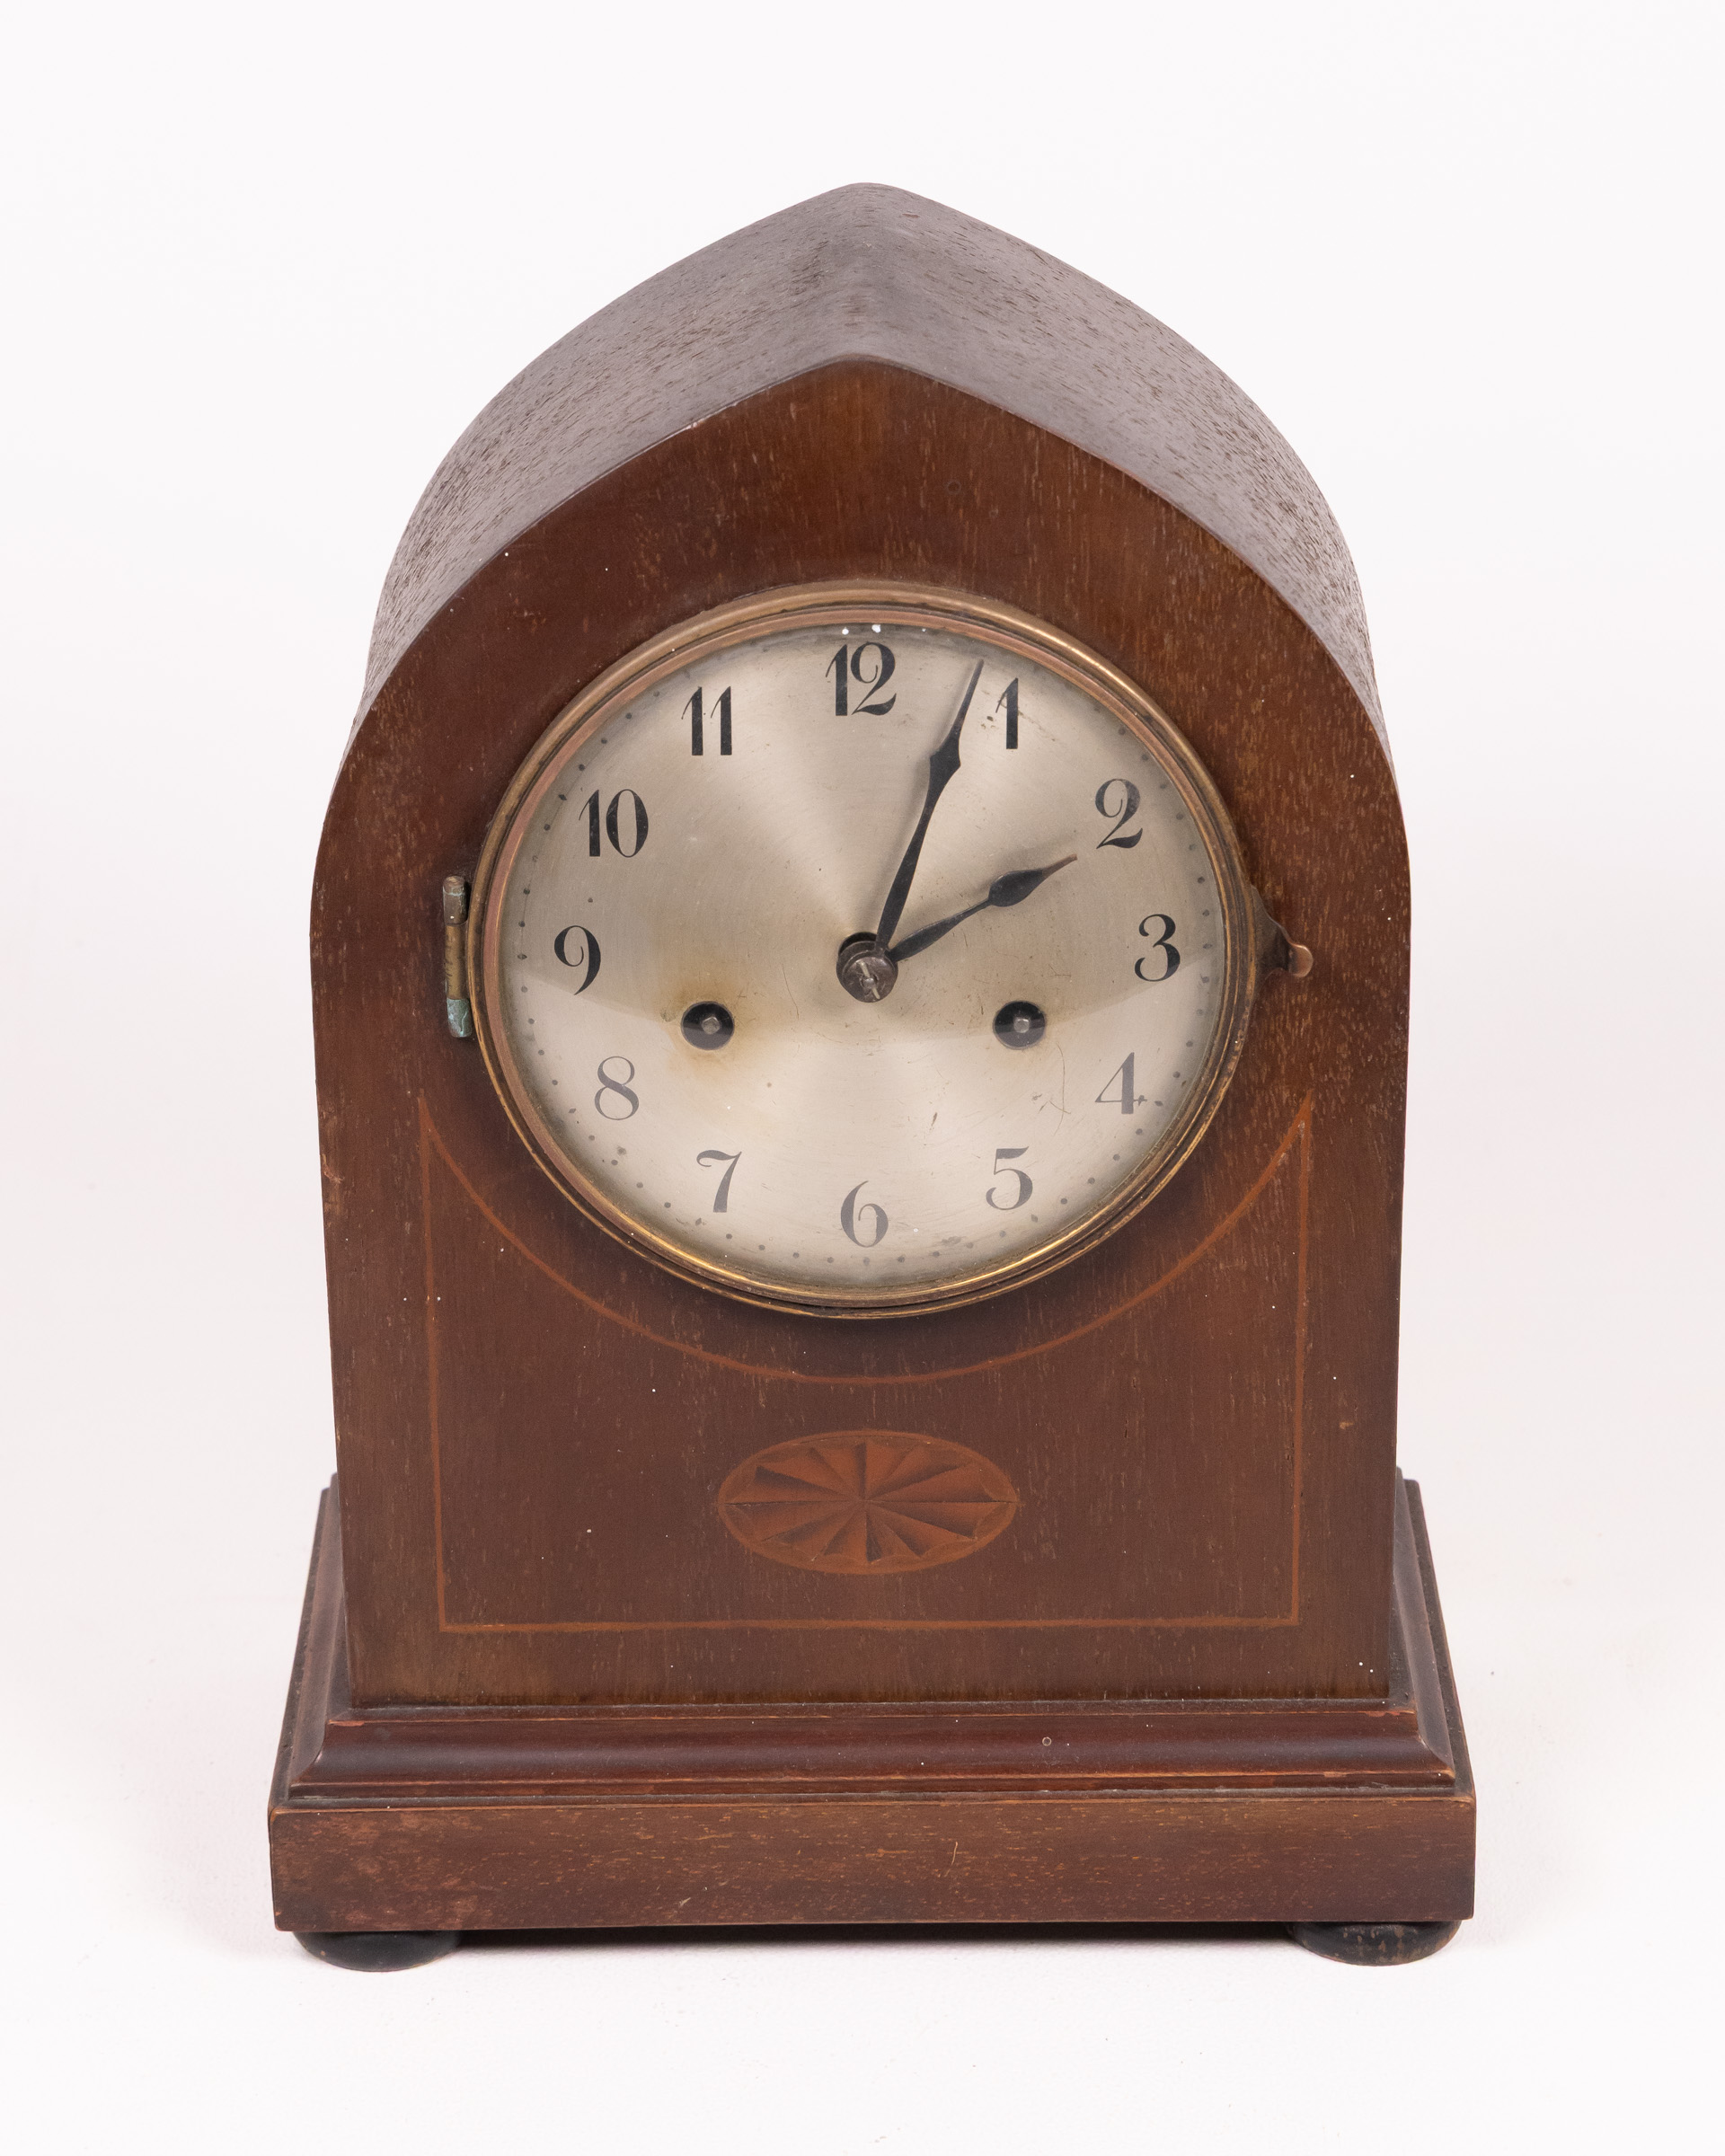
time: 2:03
